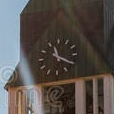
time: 11:20
